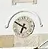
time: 6:50
